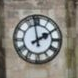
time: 1:58
